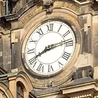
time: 8:13
